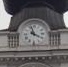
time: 3:57
